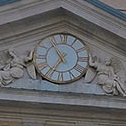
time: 6:54
